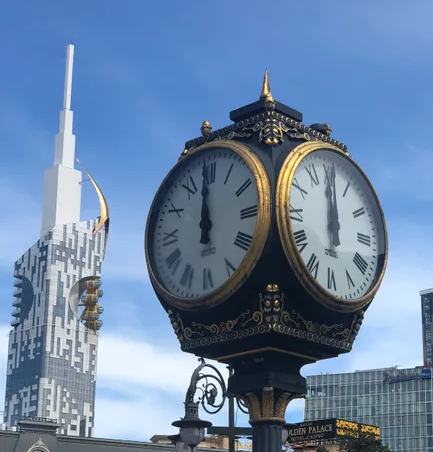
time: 11:59
